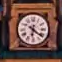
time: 6:21
